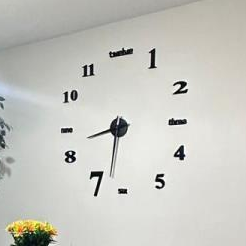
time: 8:32
